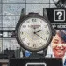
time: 2:21
